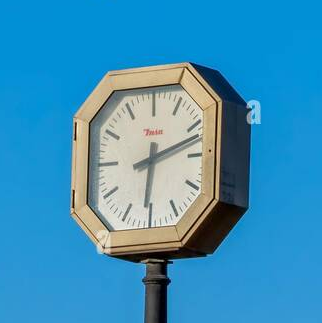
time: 6:12
